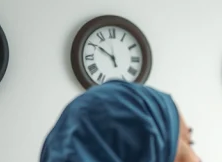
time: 4:50
